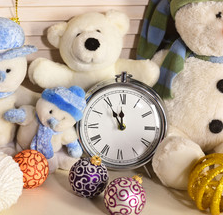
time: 11:55
